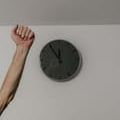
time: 11:54
